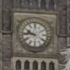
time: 9:45
